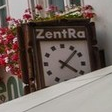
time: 4:07
